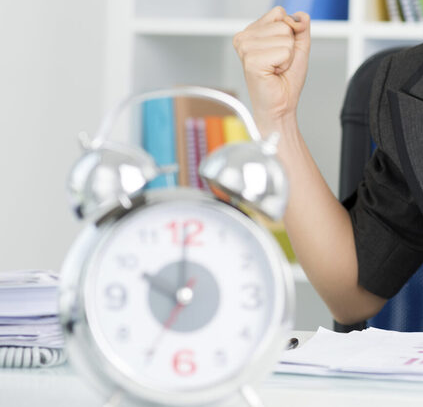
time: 10:00
